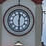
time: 12:29
